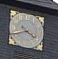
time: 3:40
